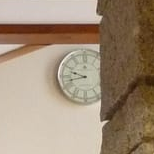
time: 9:42
